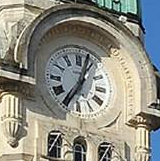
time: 7:03
